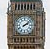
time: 2:08
